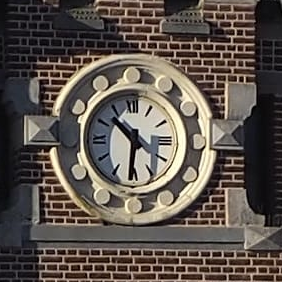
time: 10:31
